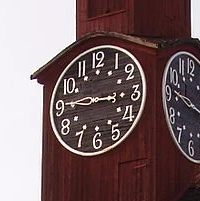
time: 2:45
